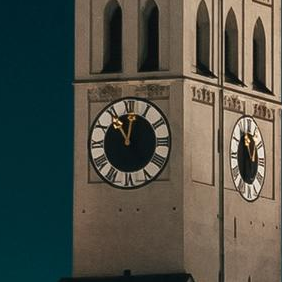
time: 11:01
